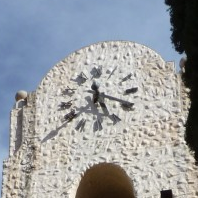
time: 5:18
